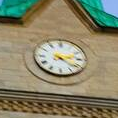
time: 2:21
